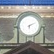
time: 6:10
